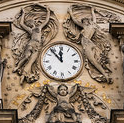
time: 11:53
